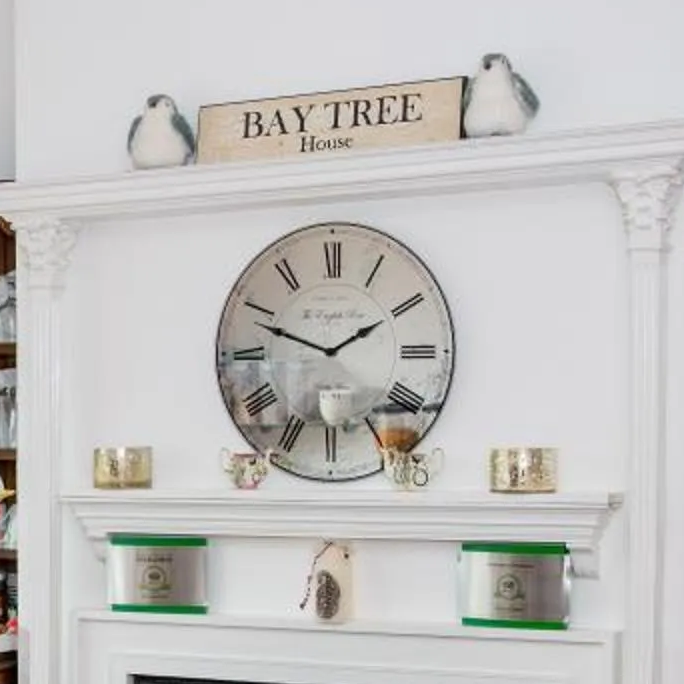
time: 1:48
